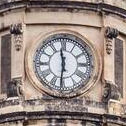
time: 11:31
